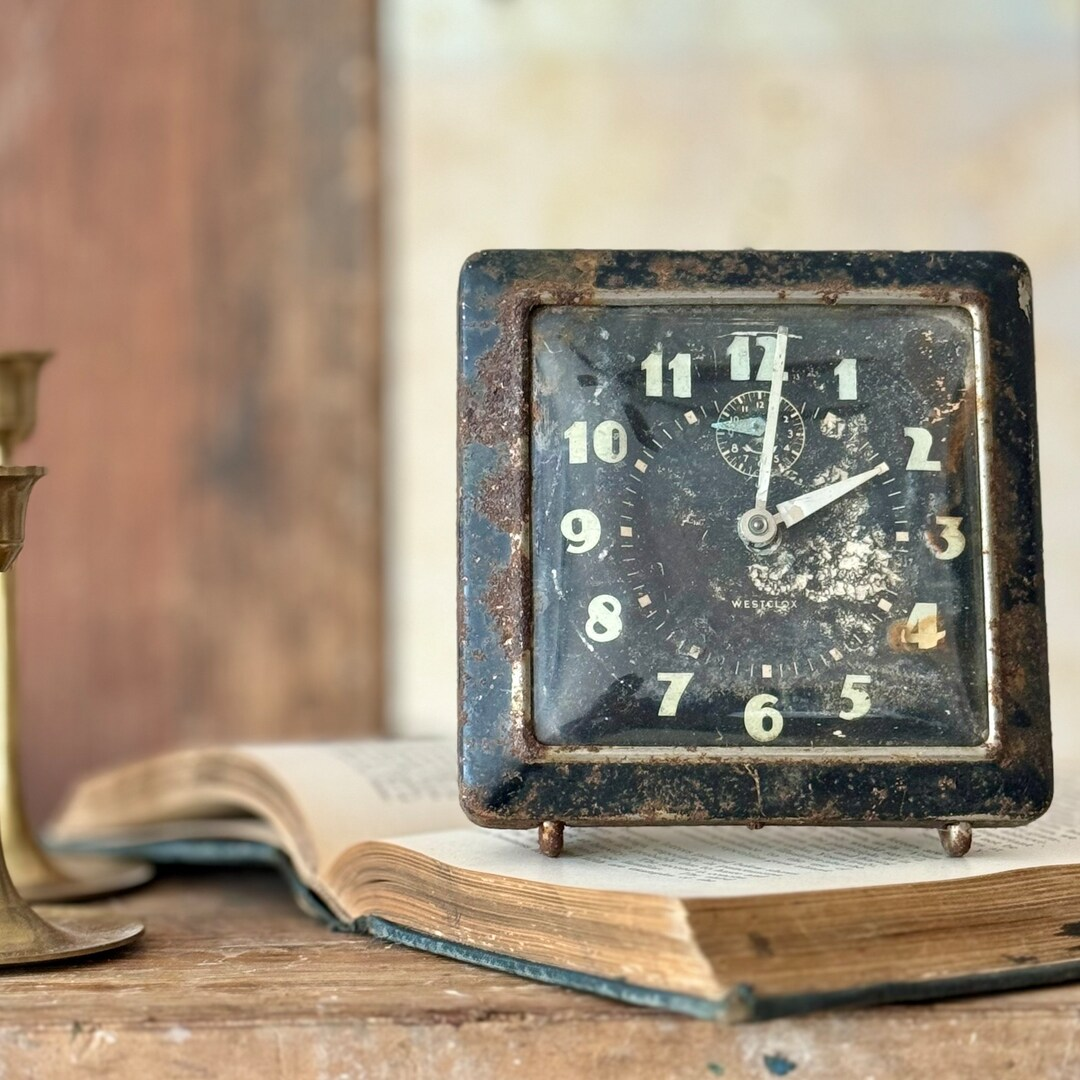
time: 2:01
